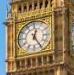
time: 12:24
